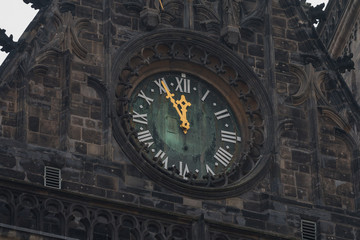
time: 11:55
